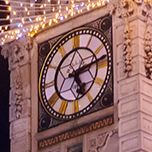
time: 5:13
